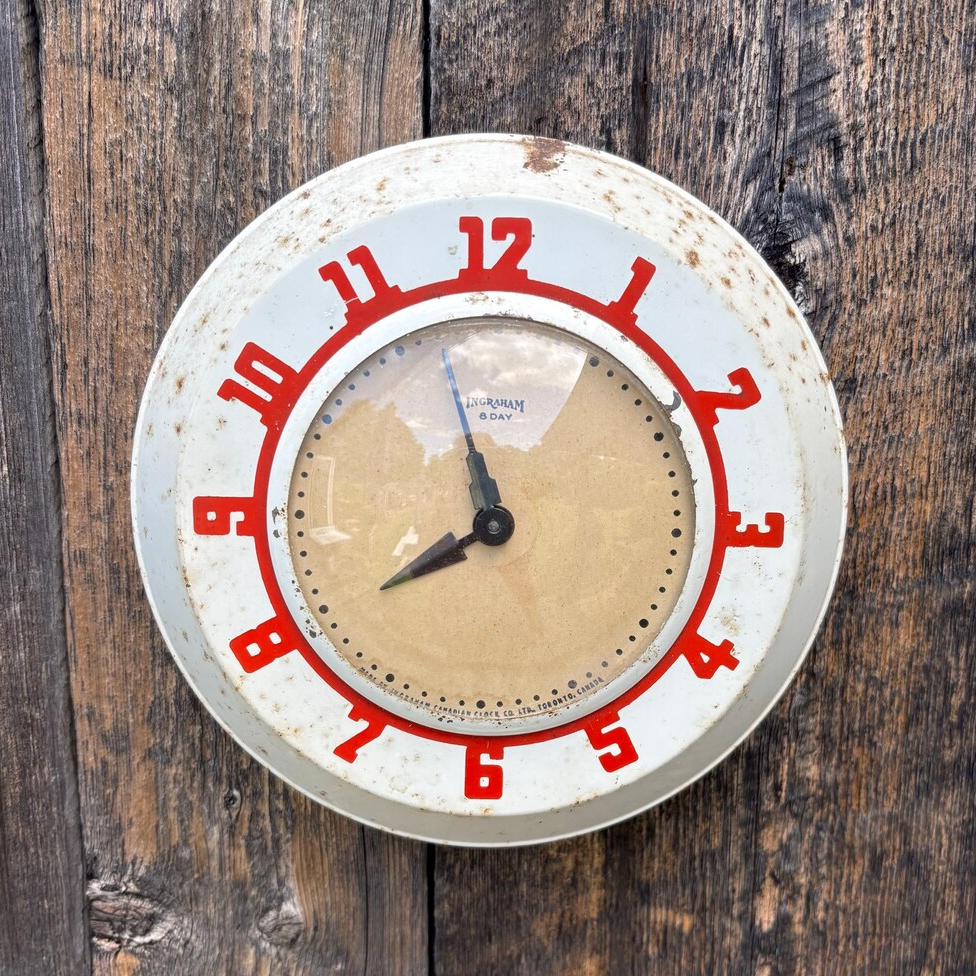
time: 7:57
